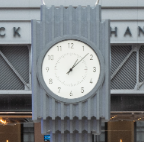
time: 1:08
